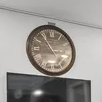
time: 2:54
